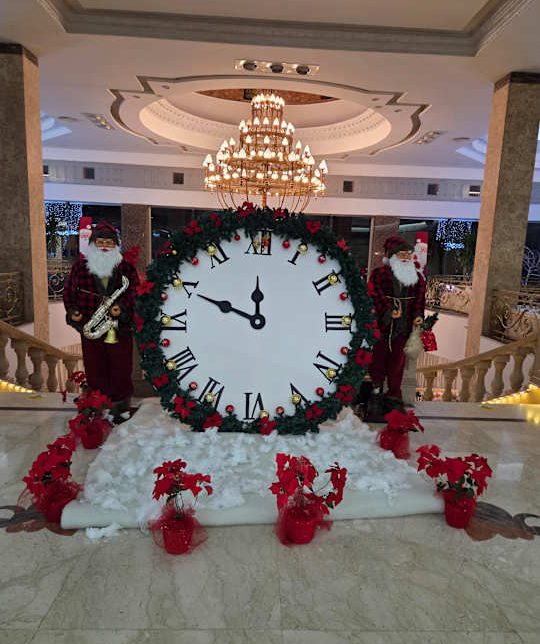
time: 11:49
